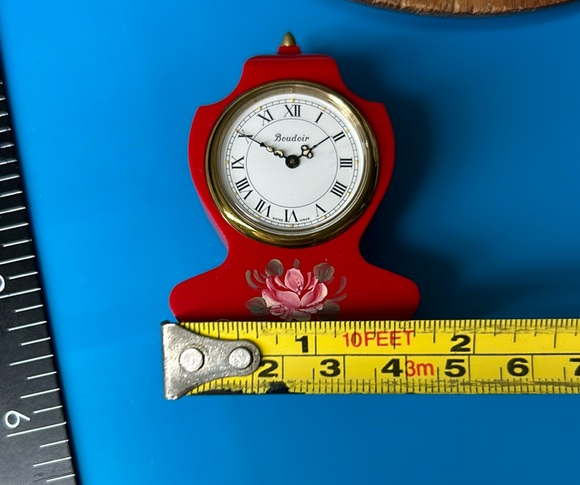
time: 1:49
